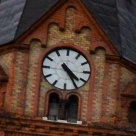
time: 4:24
